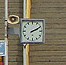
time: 2:09
